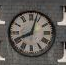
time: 8:03
